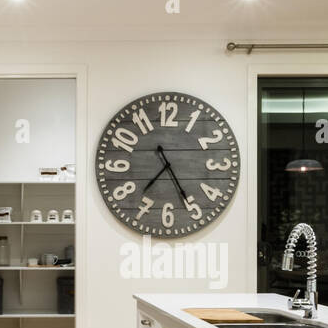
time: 7:25
